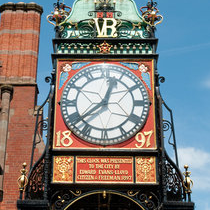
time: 12:38
